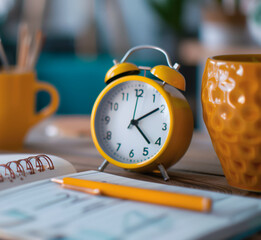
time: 4:09
